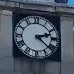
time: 2:21
